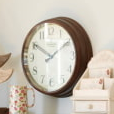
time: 1:50
